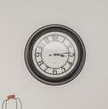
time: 3:13
